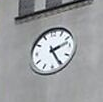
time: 2:25
